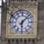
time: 6:07
